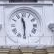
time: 11:30
